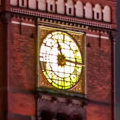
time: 11:16
